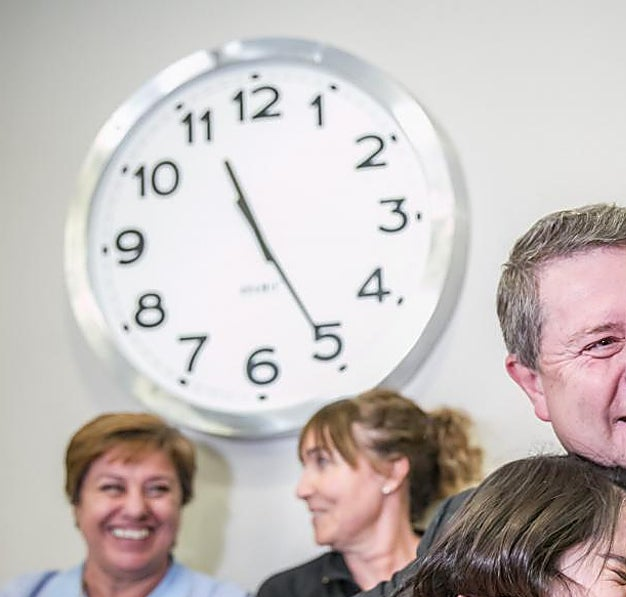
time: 11:25
